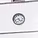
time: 4:42
